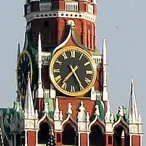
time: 7:25
